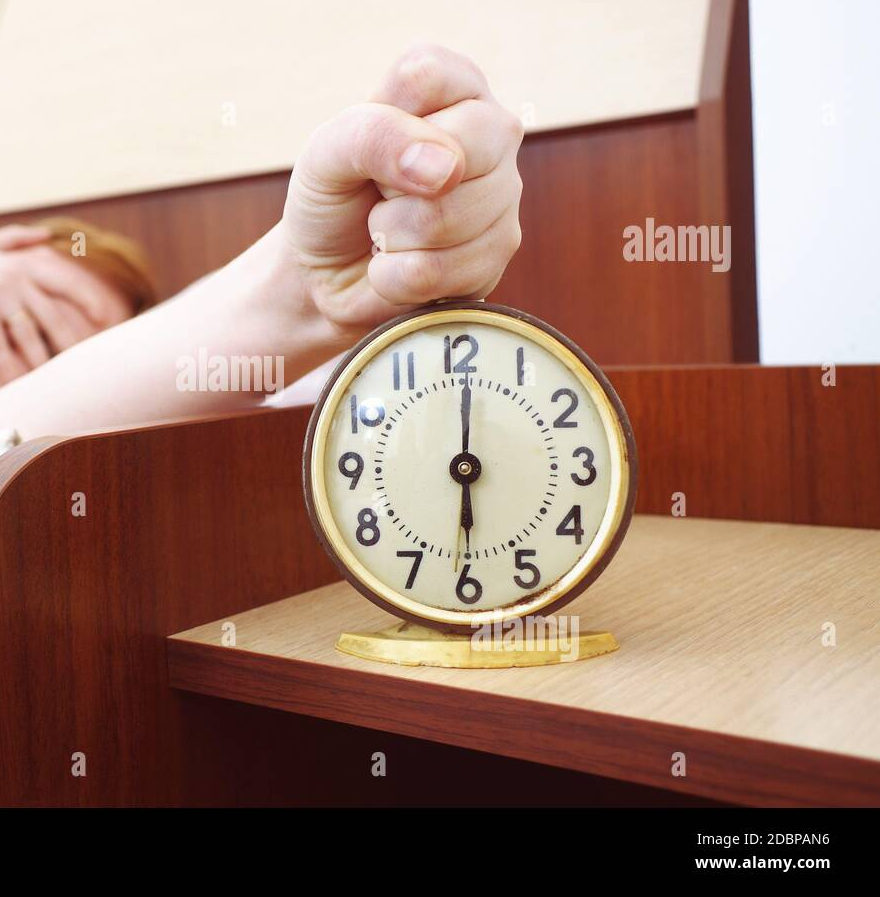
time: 6:00
